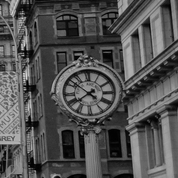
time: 7:51
